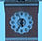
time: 5:34
